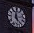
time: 4:59
